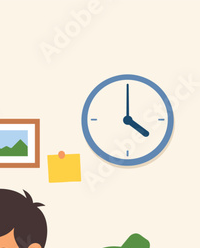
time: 4:00
